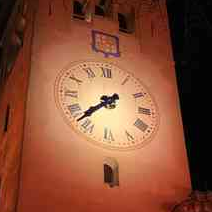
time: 7:37
